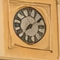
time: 7:09
